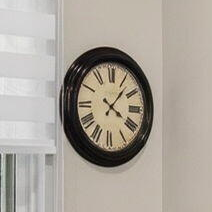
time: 4:06
